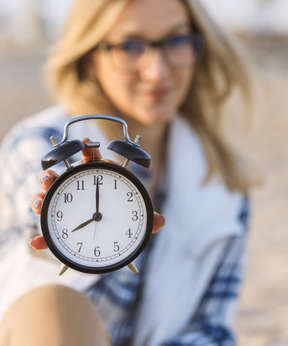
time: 8:00
